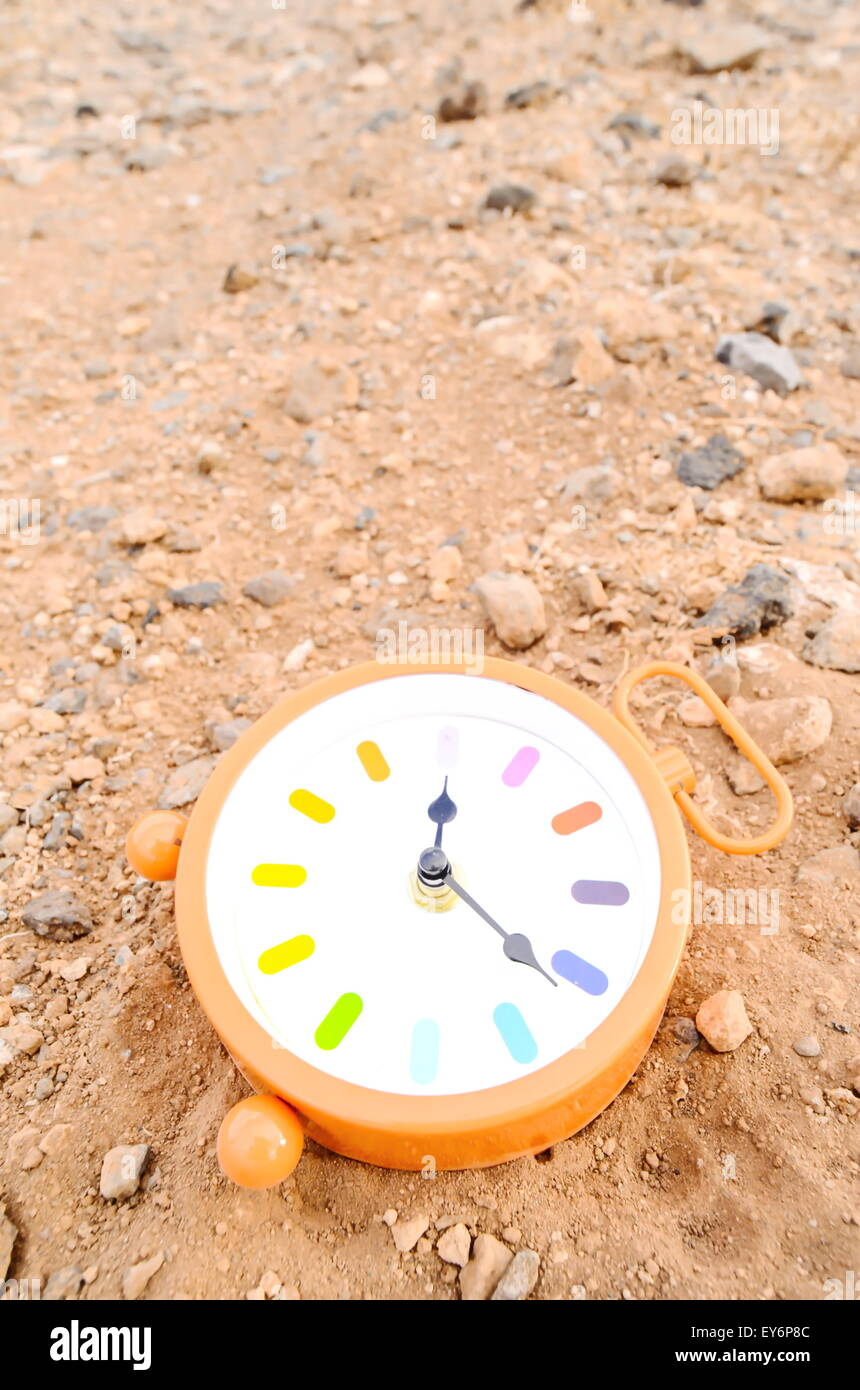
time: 12:21
